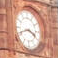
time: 3:41
